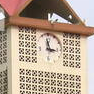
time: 2:58
